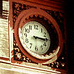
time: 3:14
